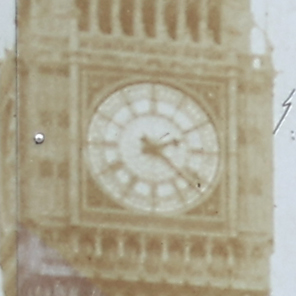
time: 2:21
